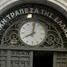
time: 8:01
